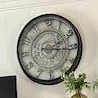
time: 2:15
